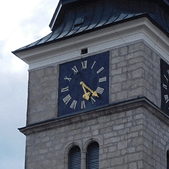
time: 5:22
